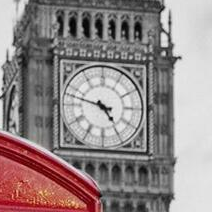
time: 4:47
